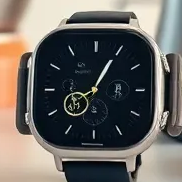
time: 1:04
